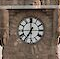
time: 7:00
